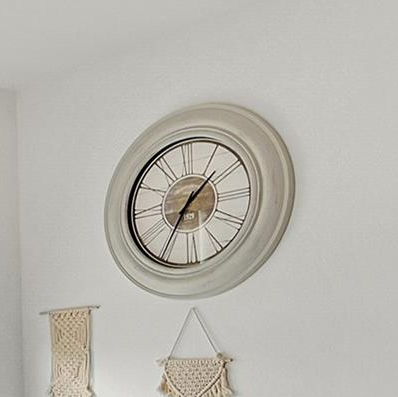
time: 1:35
